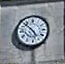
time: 4:52
